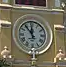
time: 11:53
